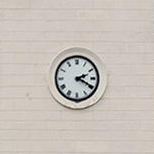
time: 2:19
